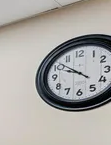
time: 9:51
